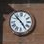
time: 4:52
